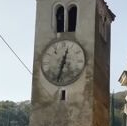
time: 12:32
